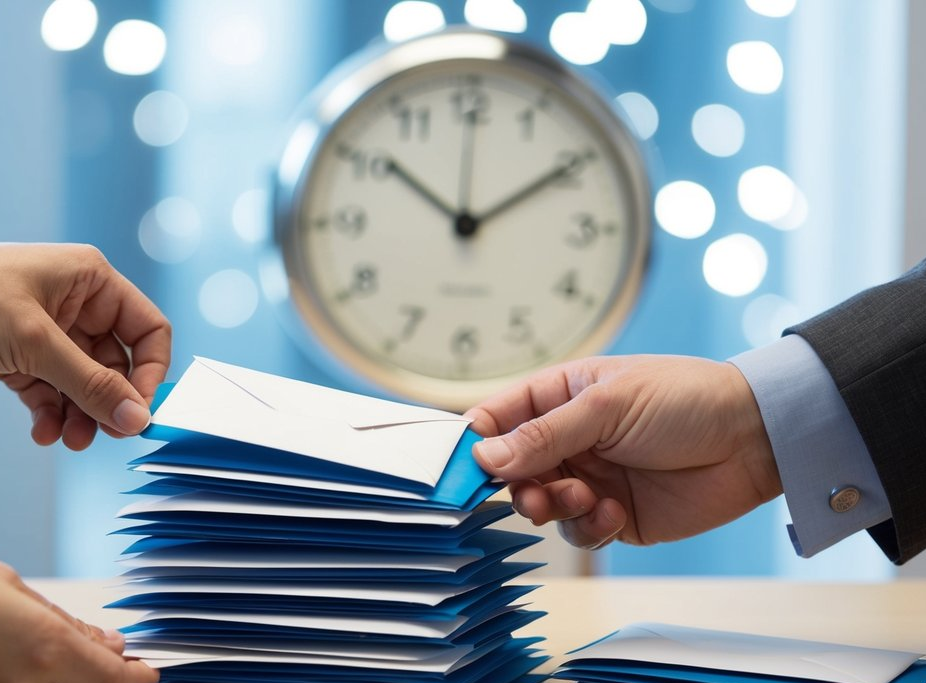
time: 10:09
